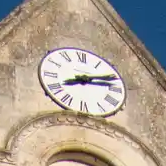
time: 8:12
